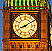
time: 8:09
